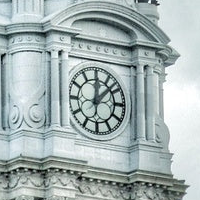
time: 12:07
